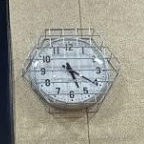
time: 5:20
